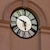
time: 5:49
